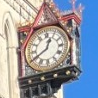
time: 12:40
